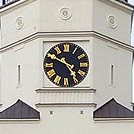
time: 4:49
